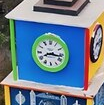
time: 8:16
